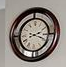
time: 2:18
